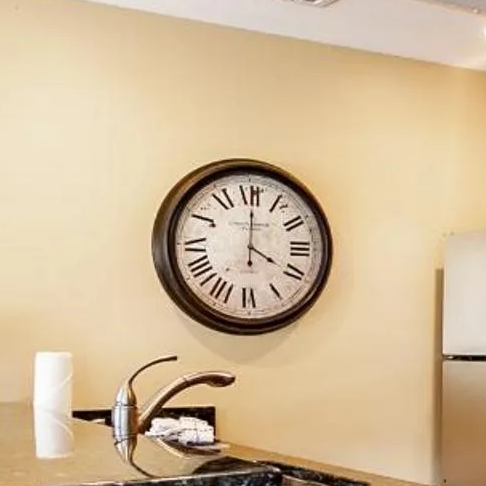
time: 4:00
